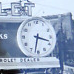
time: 3:32
